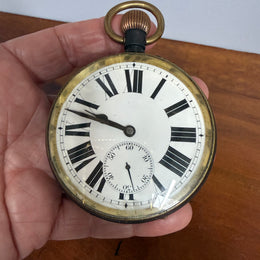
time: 9:47
